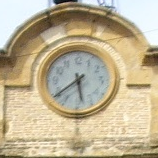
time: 5:38
